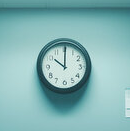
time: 10:00
